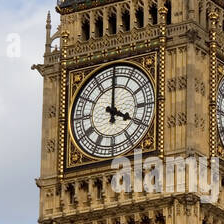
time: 4:00
